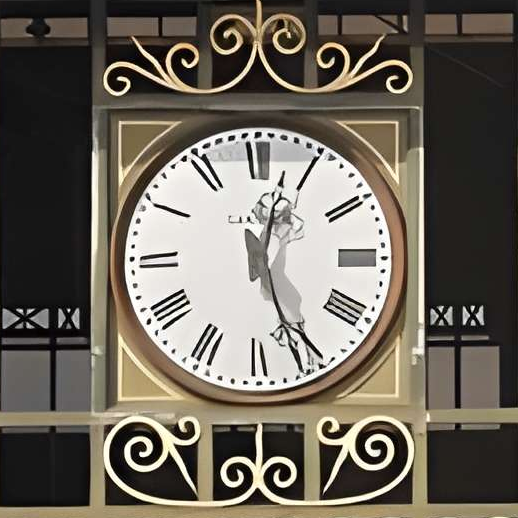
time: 12:26
